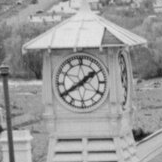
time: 1:39
